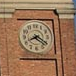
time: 8:20
